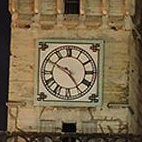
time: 4:50
